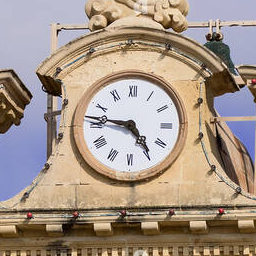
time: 4:46
